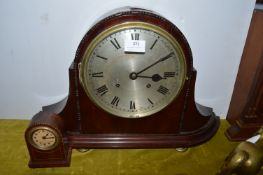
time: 3:09
